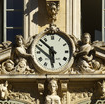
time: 5:52
